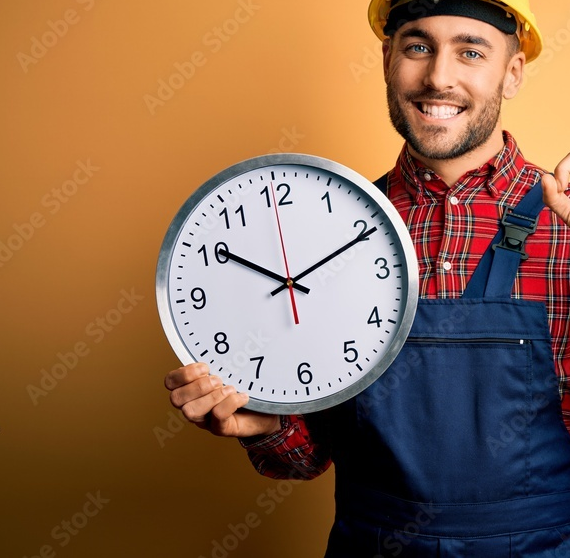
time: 10:10
